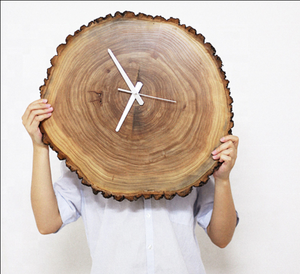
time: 6:54
